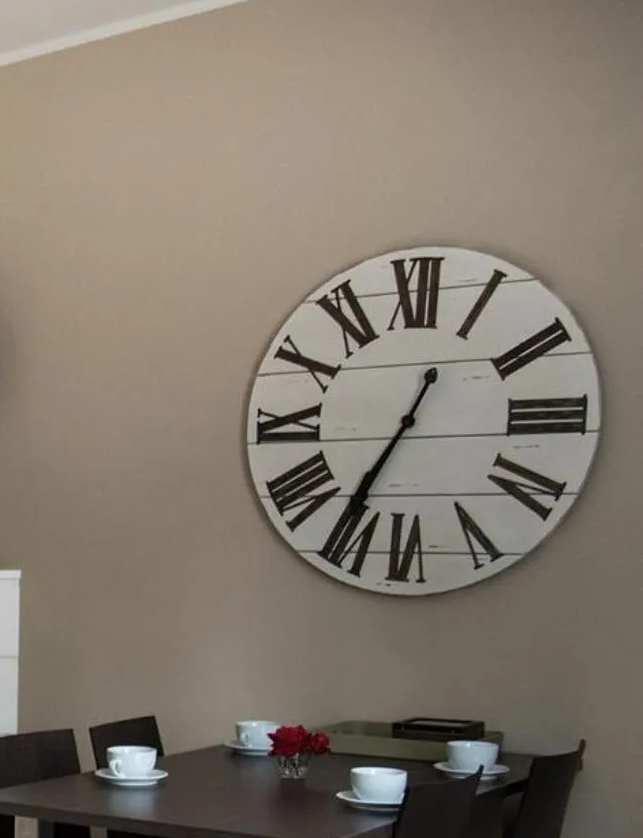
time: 12:35
